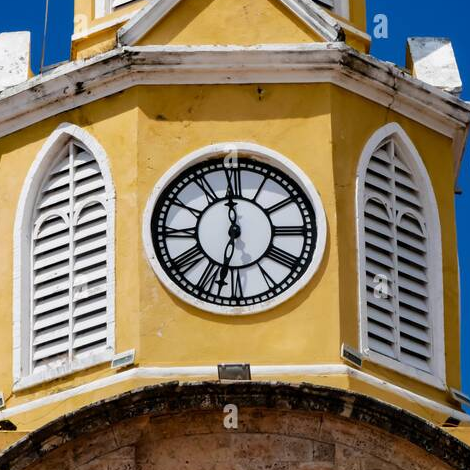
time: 11:32
